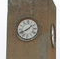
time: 1:40
